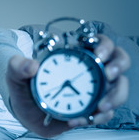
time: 4:37
